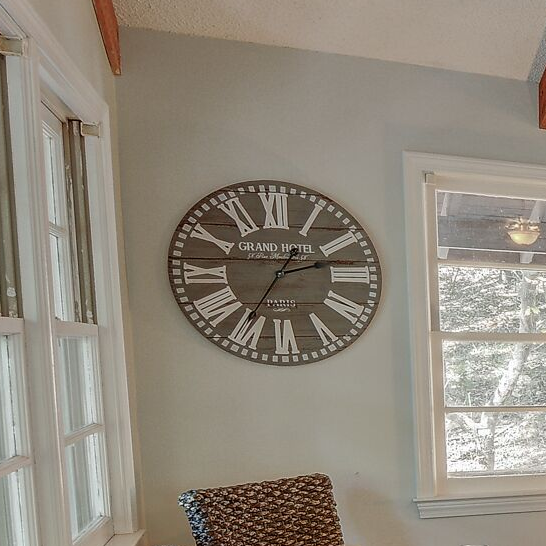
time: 2:35
